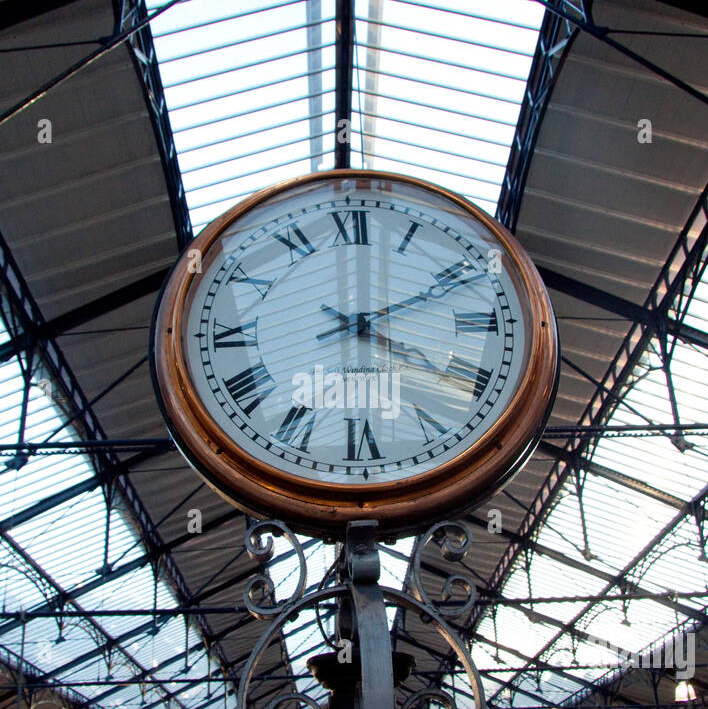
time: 4:10
